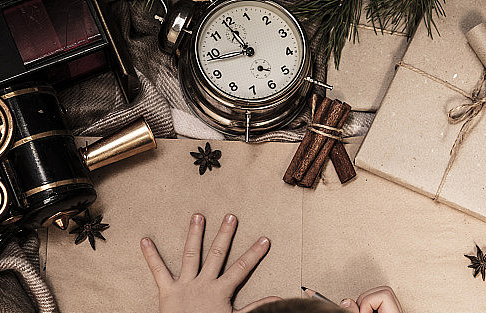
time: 10:43
